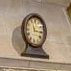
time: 11:15
